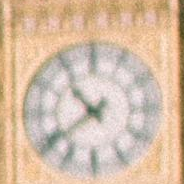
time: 10:39
